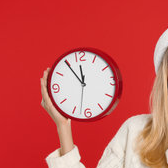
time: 11:54
